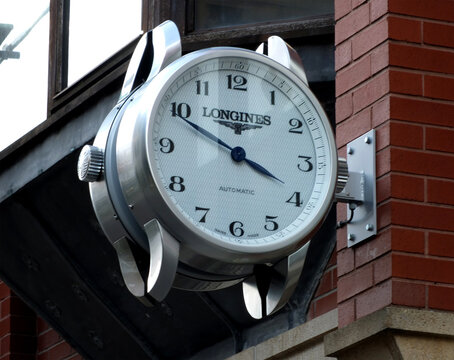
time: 3:49
